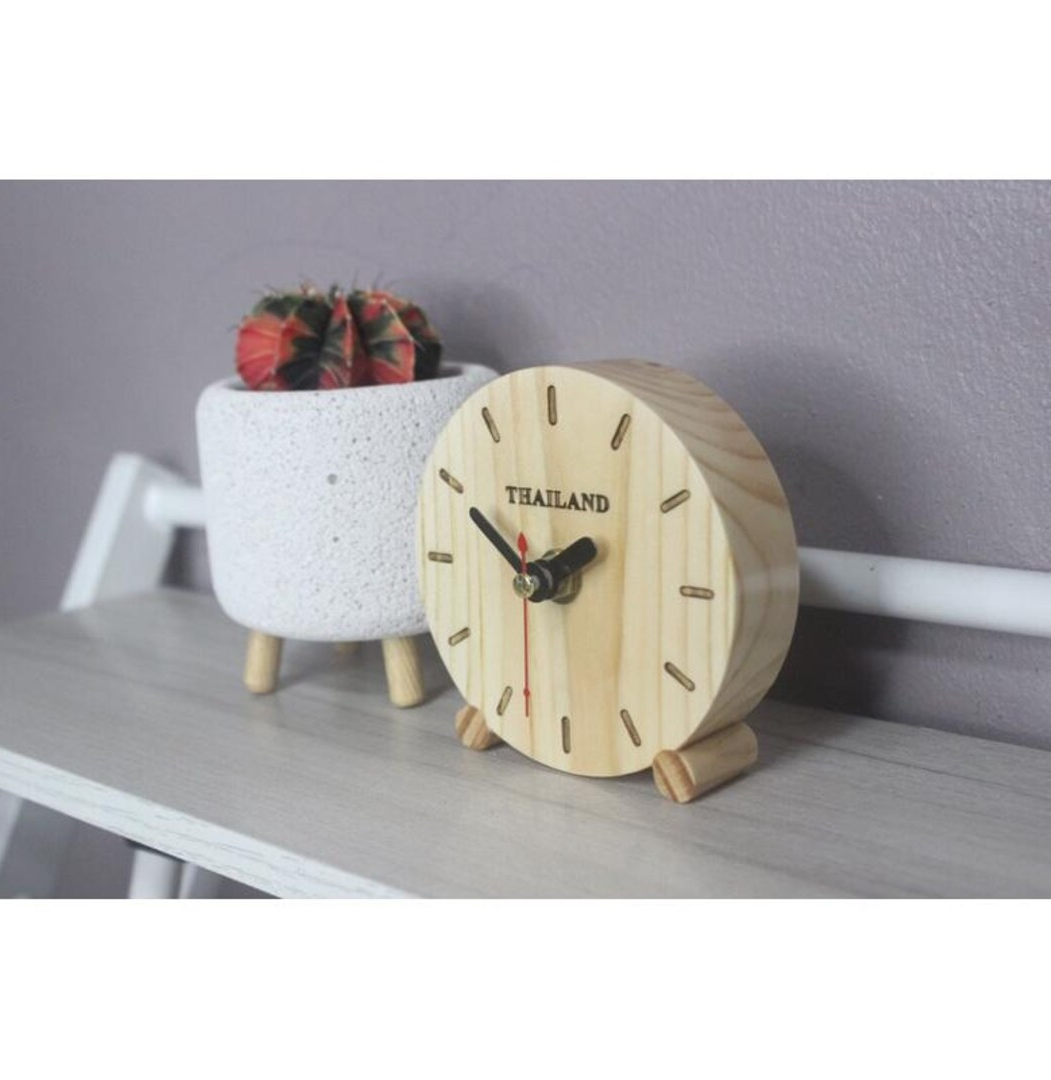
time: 1:50
